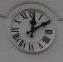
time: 12:09
